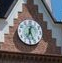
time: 12:26
